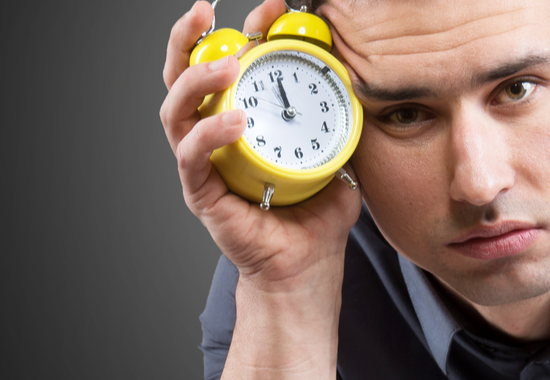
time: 12:00
